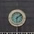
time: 6:08
